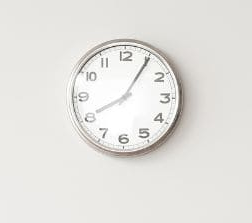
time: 8:05
